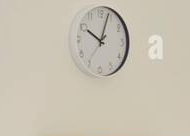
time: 10:03
